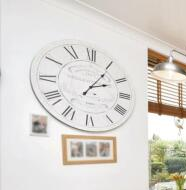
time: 2:05
